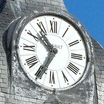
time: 10:34
